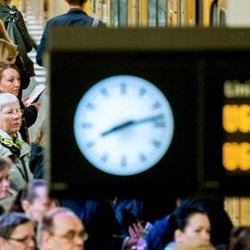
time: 8:12
